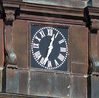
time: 7:03
